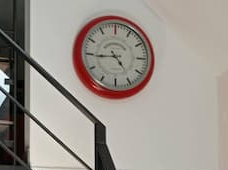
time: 4:44
